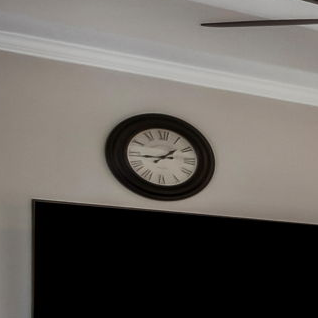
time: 1:43
